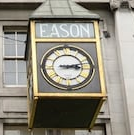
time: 3:12
